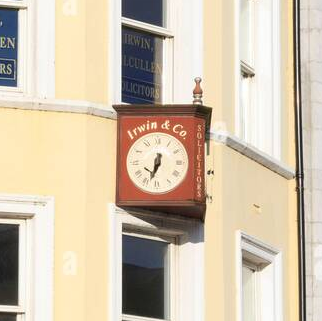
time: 6:33
